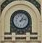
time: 1:12
